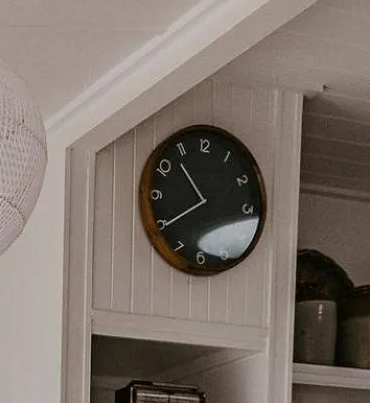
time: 10:39
